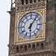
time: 6:06
